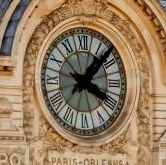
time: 4:07
